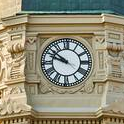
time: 9:51
